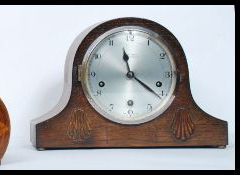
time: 11:21
